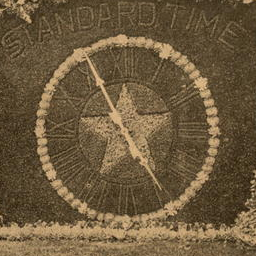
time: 4:55
